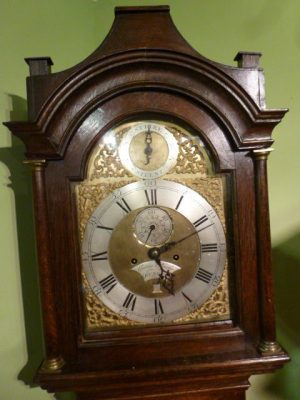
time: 5:11
